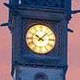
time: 10:07
